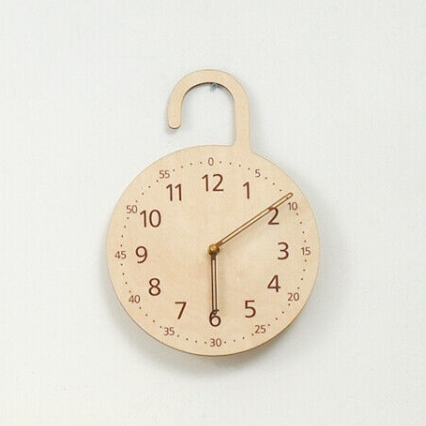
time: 6:09
